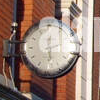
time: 12:28
